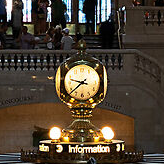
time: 9:38
